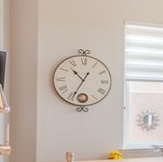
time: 10:34
